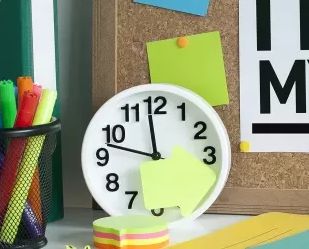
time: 11:47
